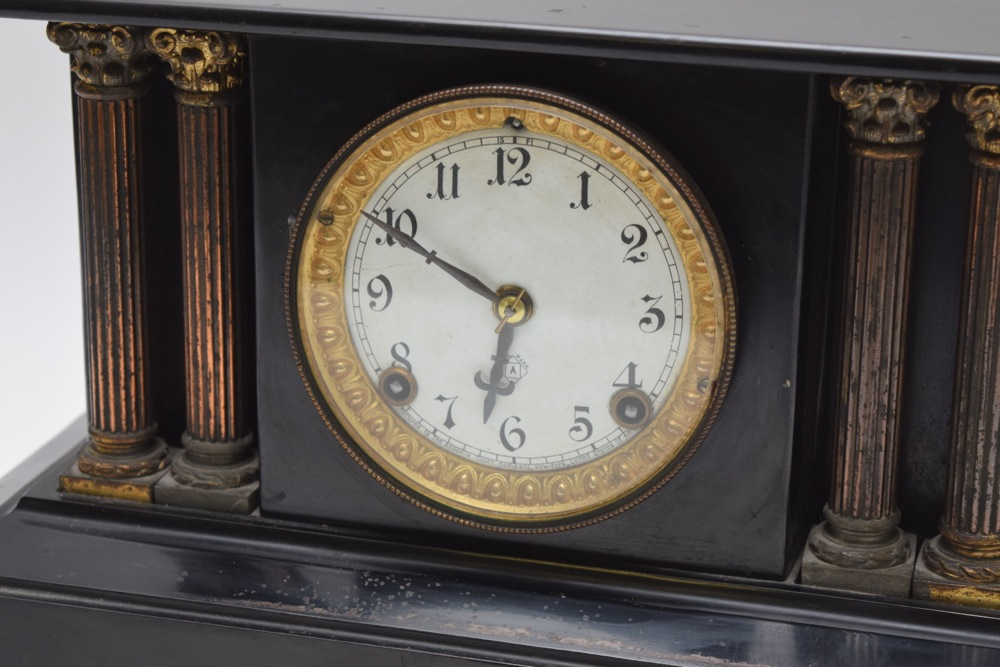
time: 6:49
